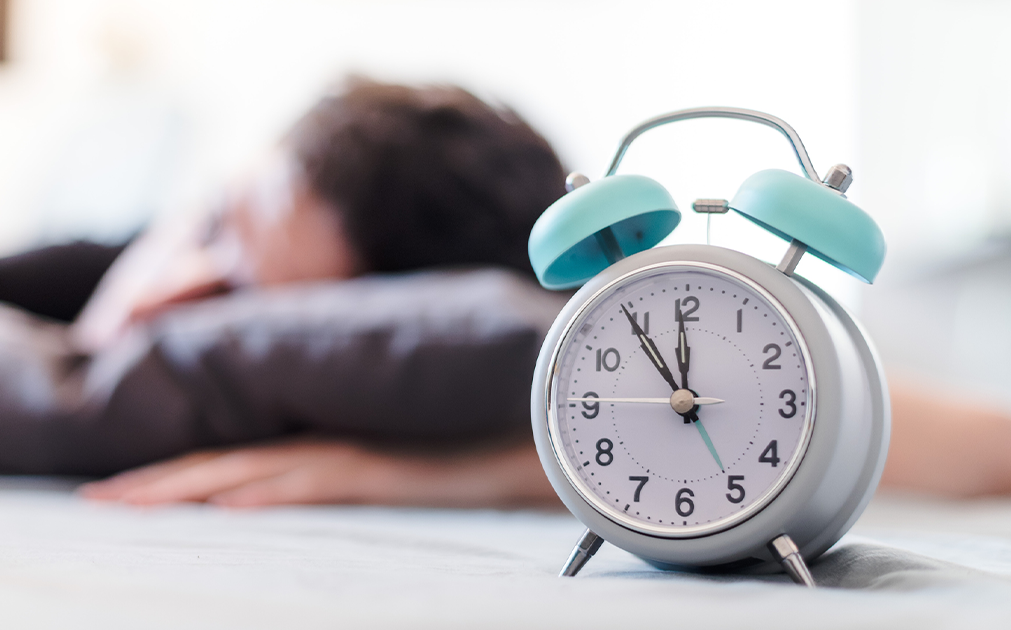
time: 11:54
